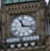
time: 11:16
